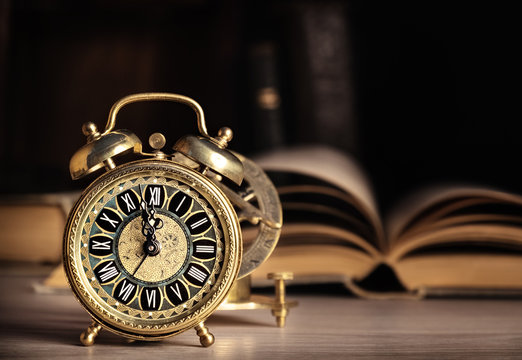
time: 11:57
